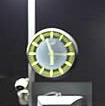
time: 5:56
